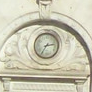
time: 2:35
